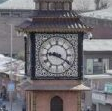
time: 9:20
